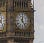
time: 12:23
